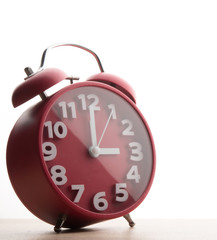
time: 3:00
